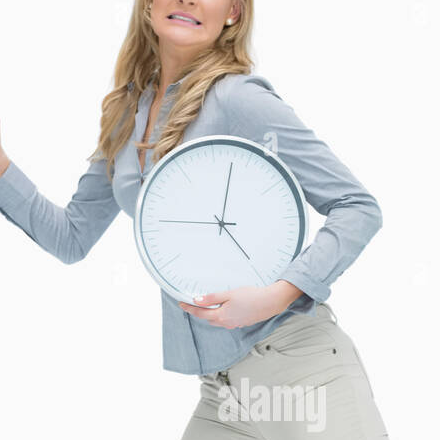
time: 5:02
